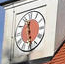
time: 11:28
